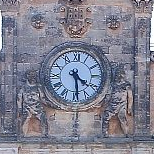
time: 4:29
